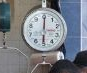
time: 6:00
